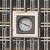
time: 3:48
